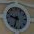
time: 9:33
